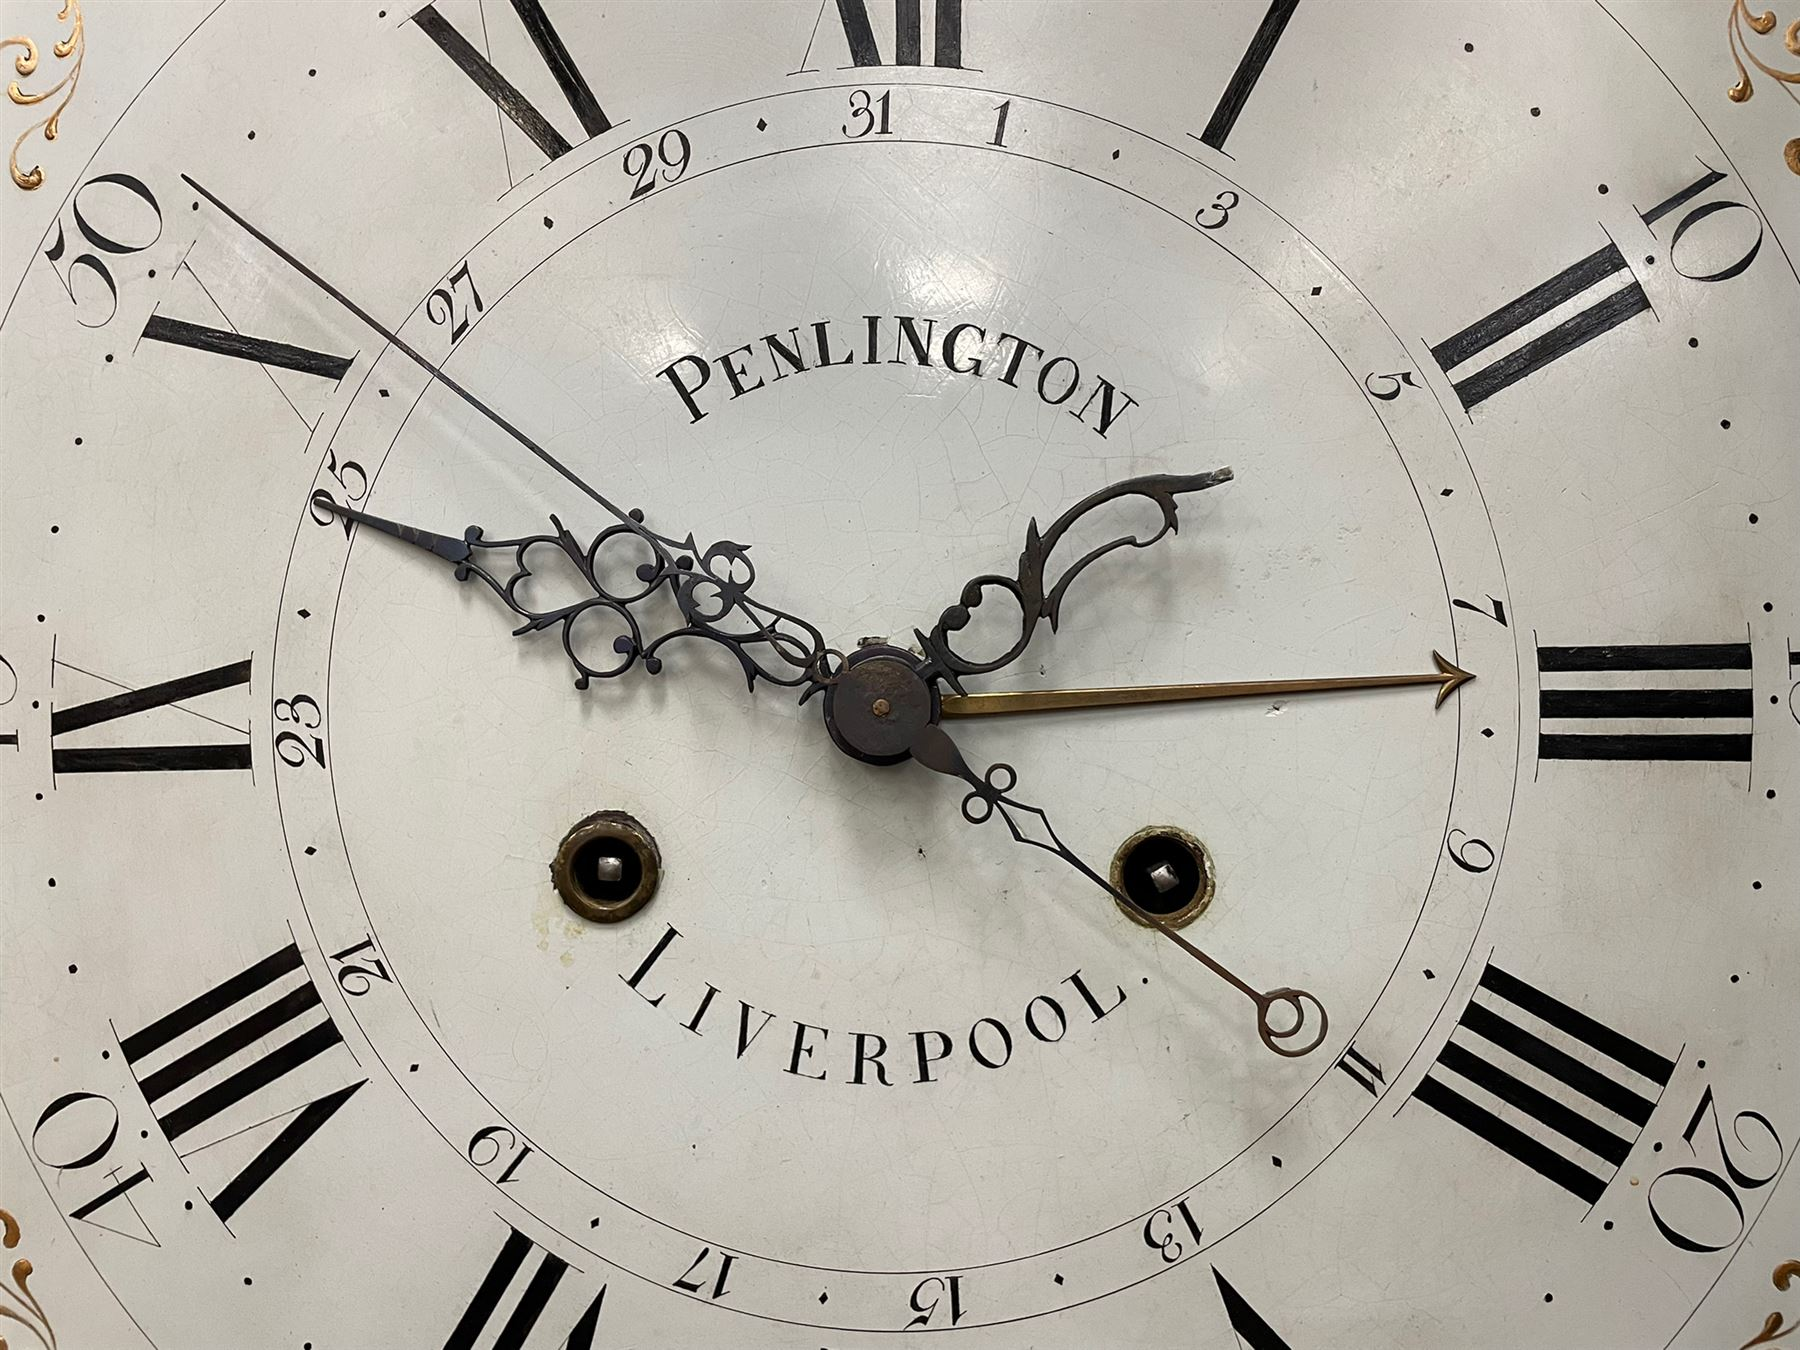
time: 4:14
